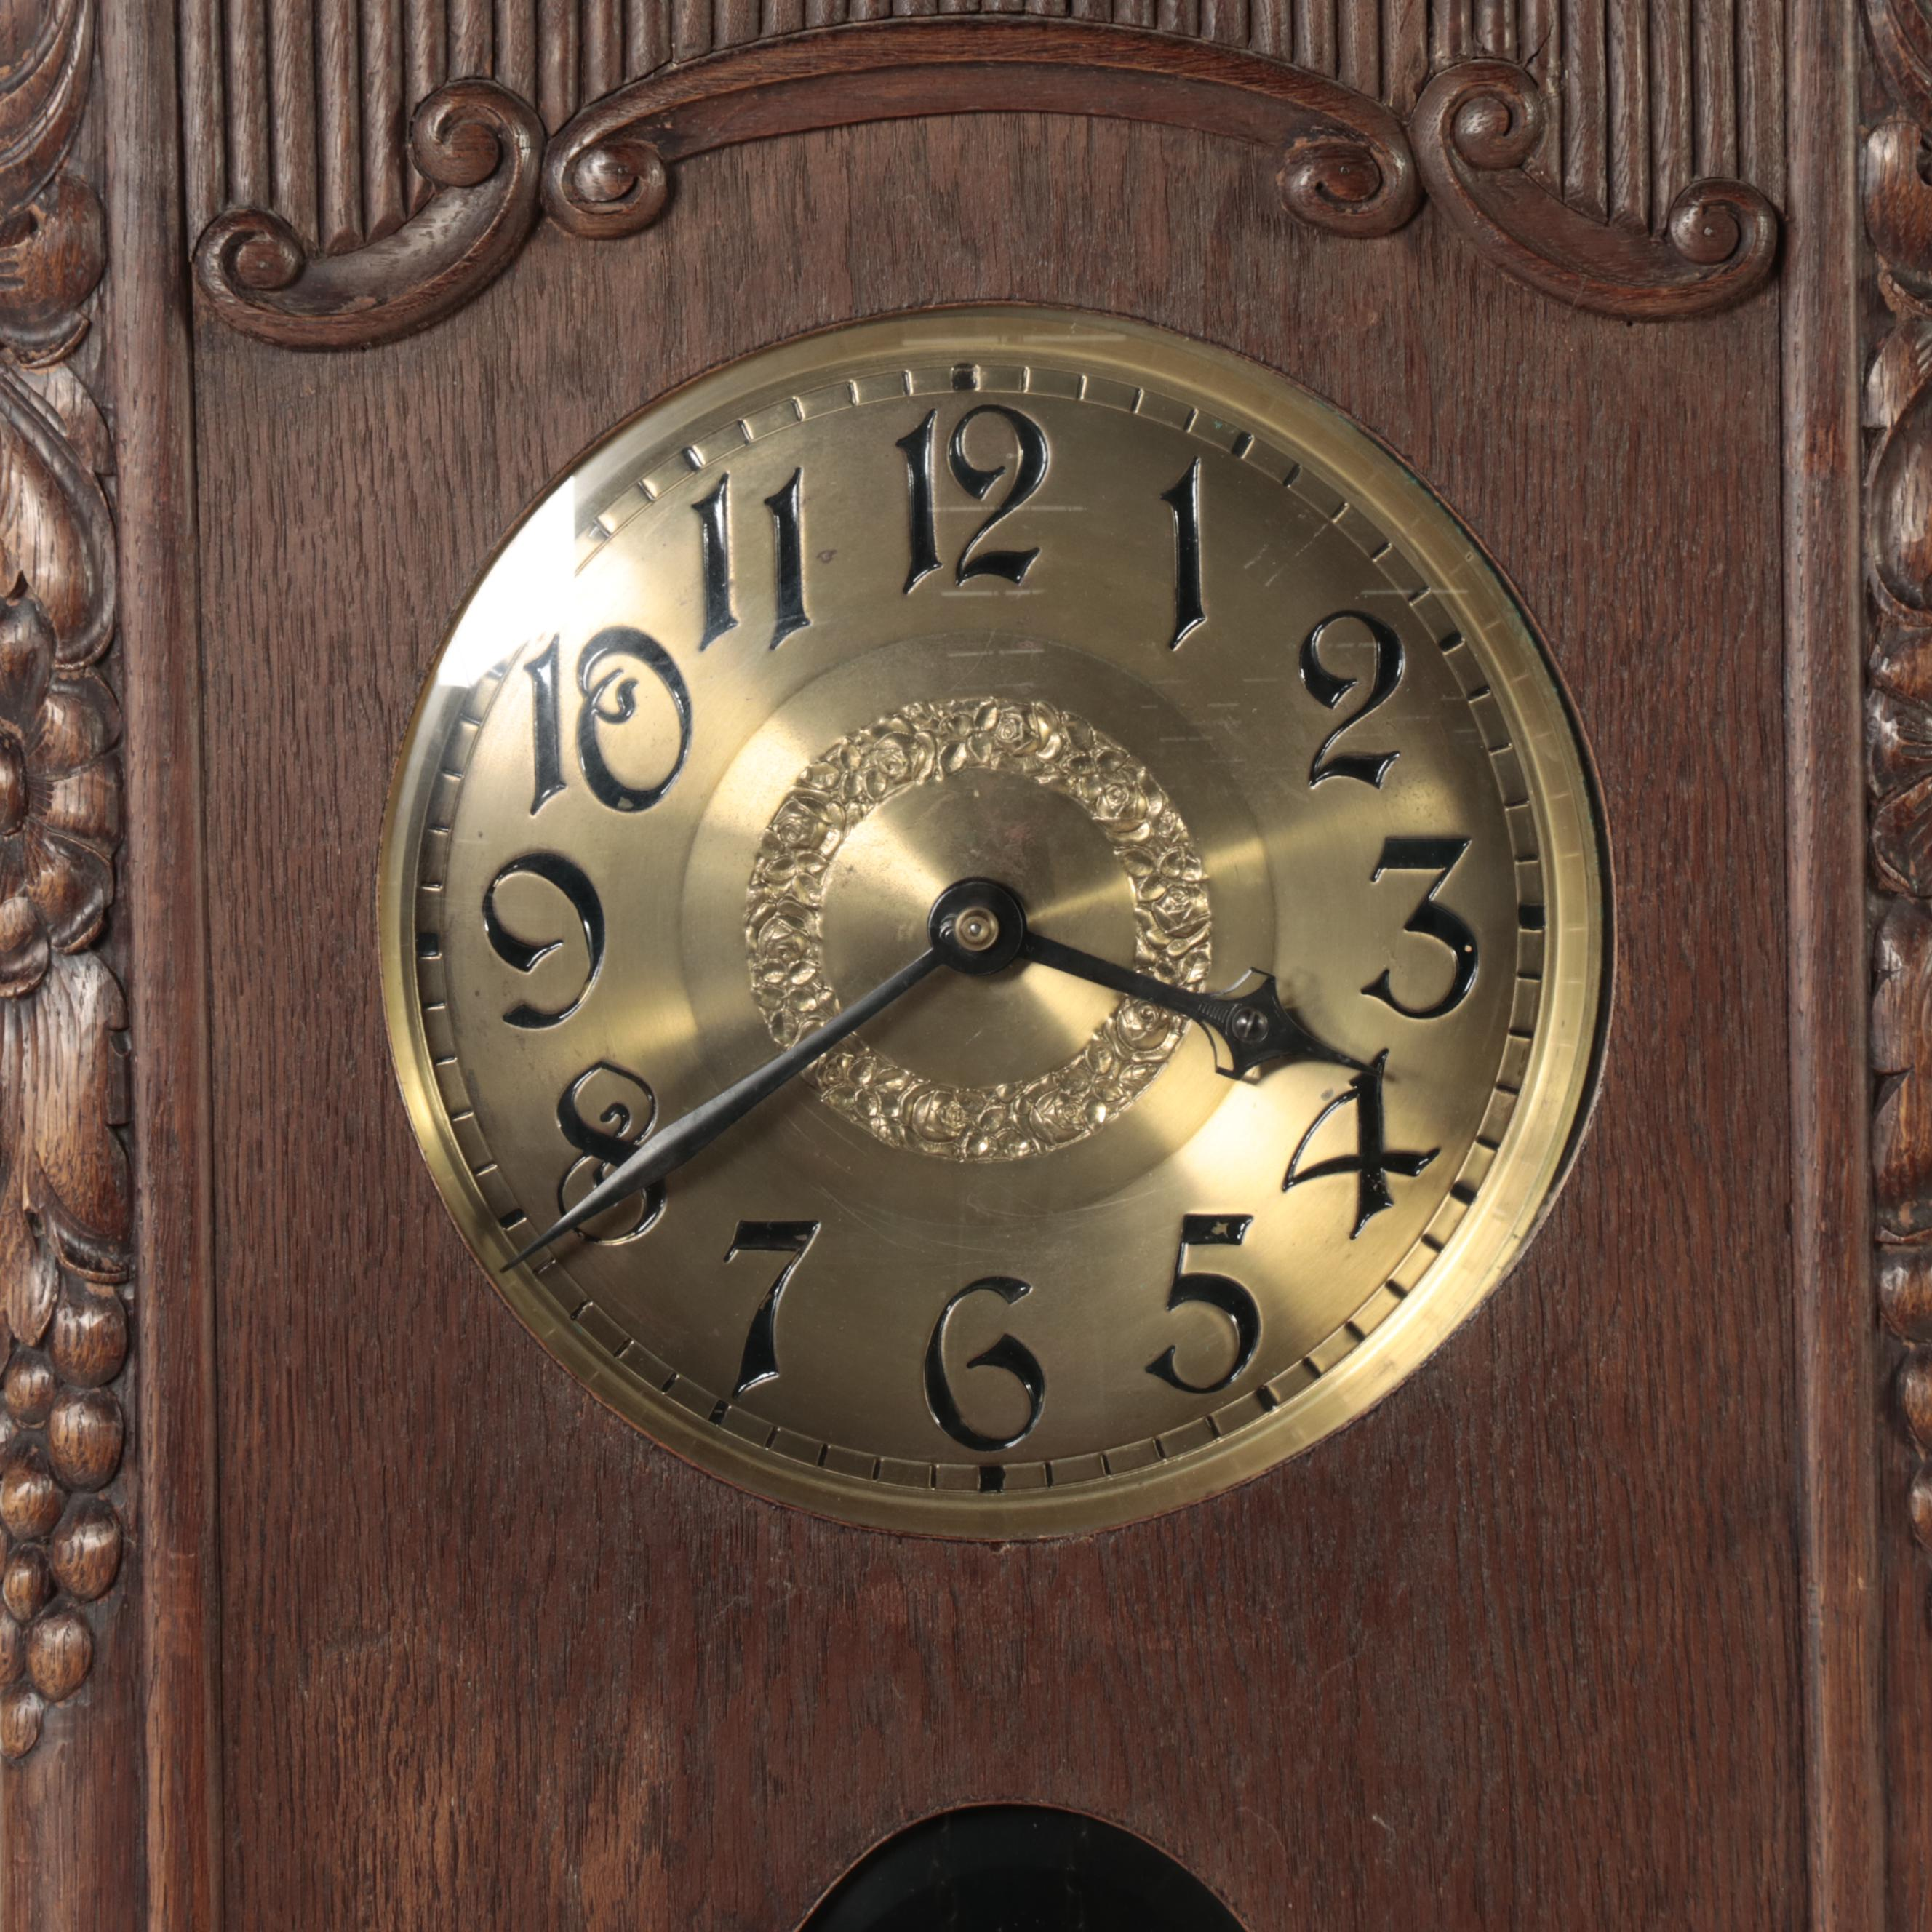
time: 3:39
